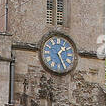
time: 1:26
